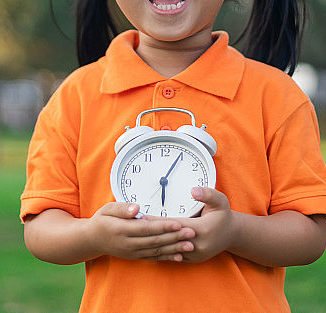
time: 6:04
